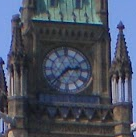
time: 2:37
